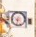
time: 8:32
